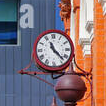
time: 11:22
